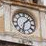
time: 1:32
